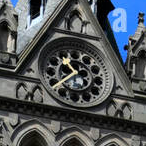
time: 10:38
